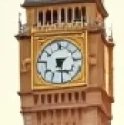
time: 7:29
